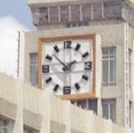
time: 1:52
